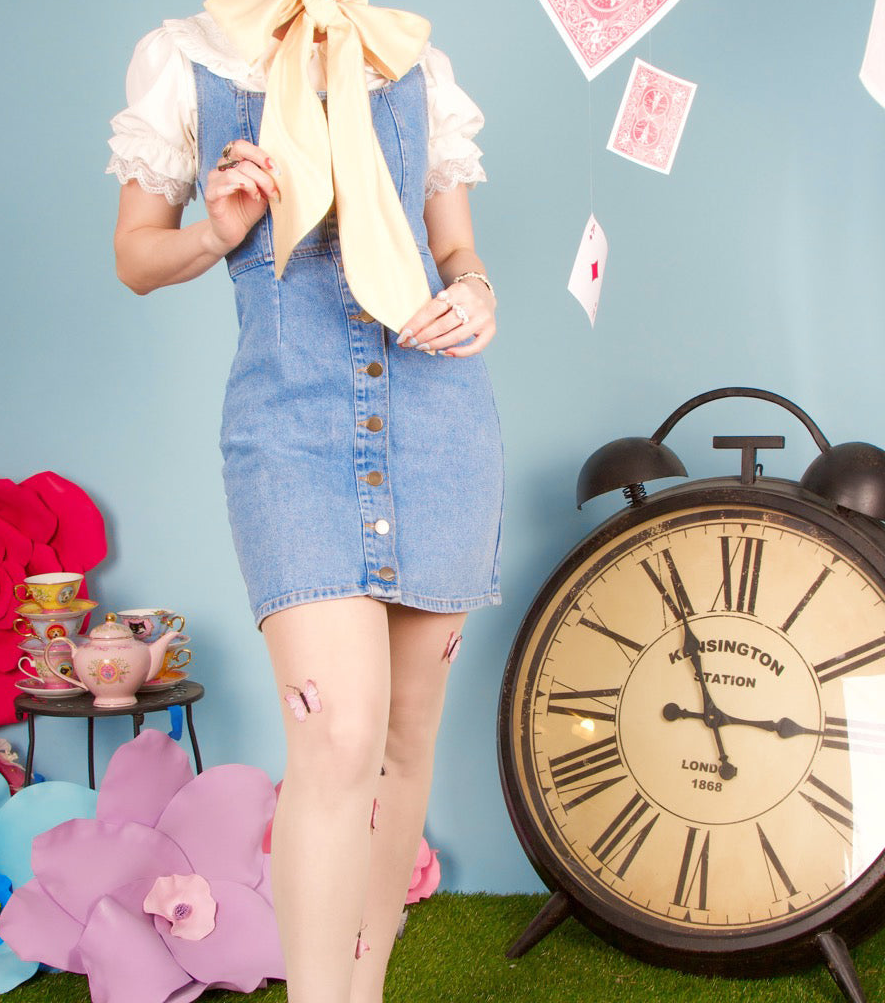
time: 2:55
